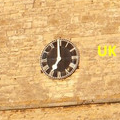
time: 6:59
